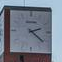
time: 2:21
